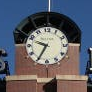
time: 9:34
